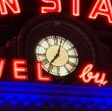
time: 7:03
